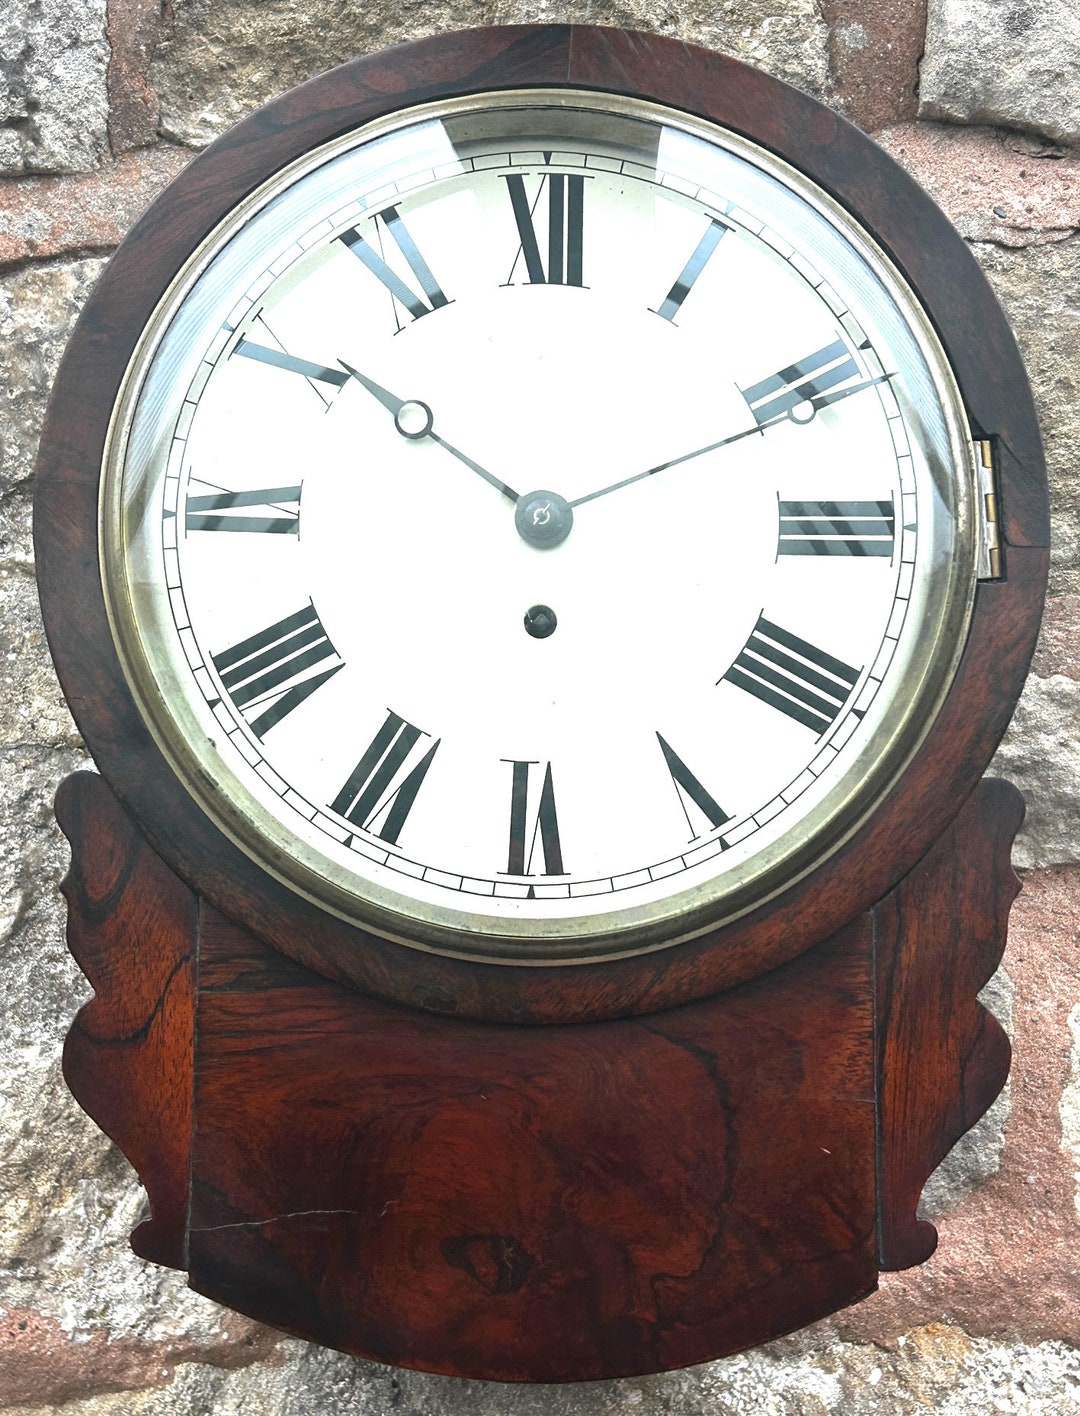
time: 10:10
